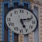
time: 5:11
